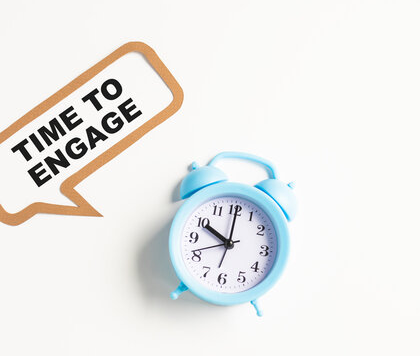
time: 10:00
